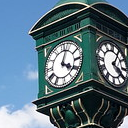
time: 4:03
